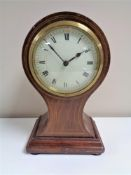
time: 1:52
